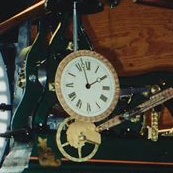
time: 1:57
